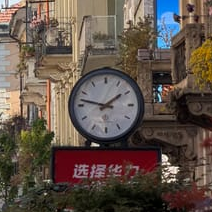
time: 1:47
